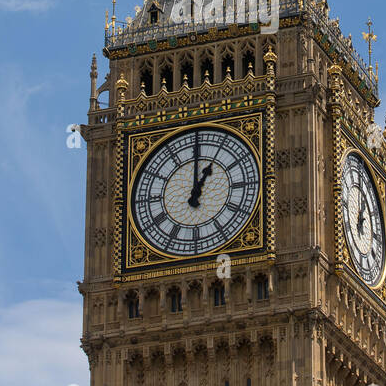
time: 1:00
